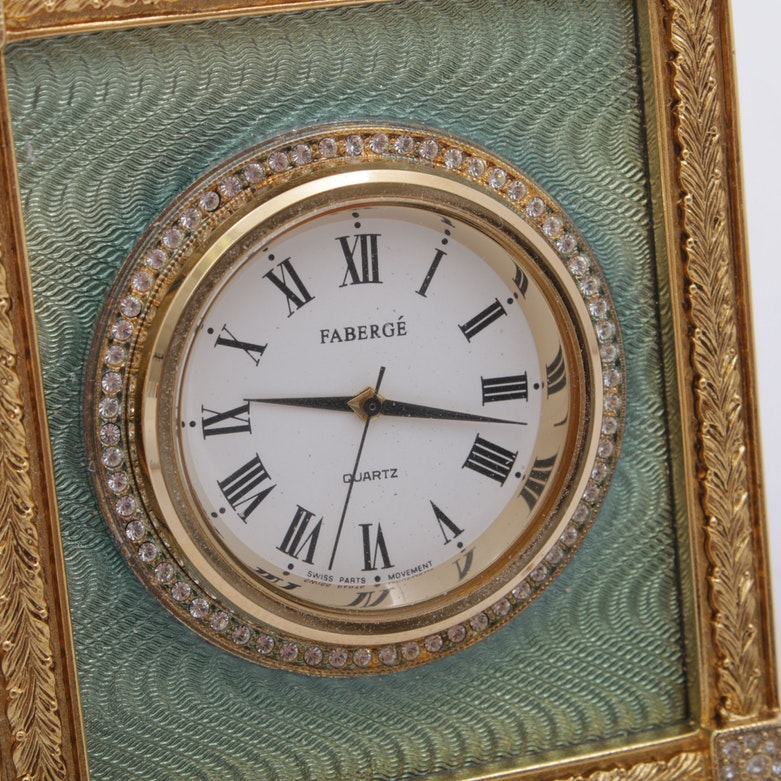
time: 9:17
